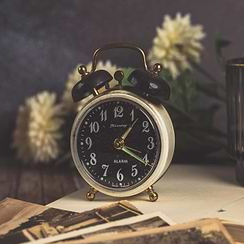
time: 1:20
